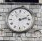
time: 2:12
